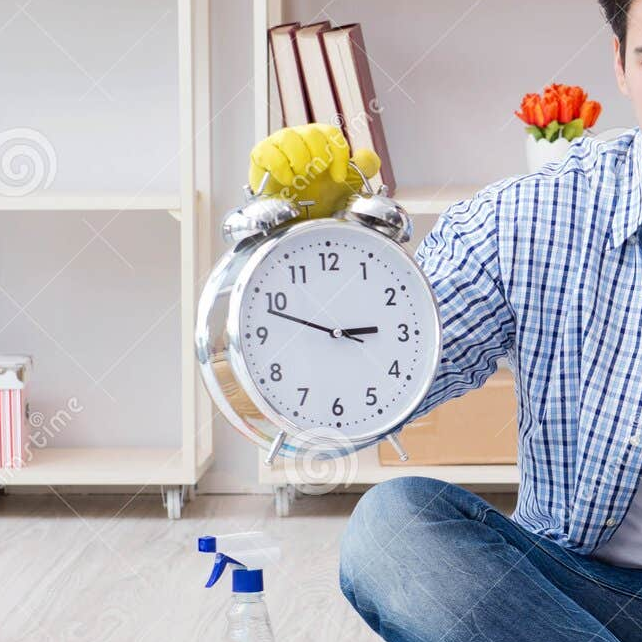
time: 2:48
